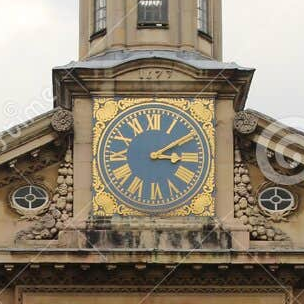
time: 3:09
